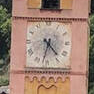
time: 4:32
